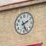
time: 2:25
